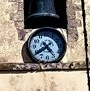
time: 4:38
